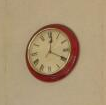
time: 12:19
